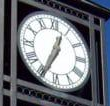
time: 12:34
